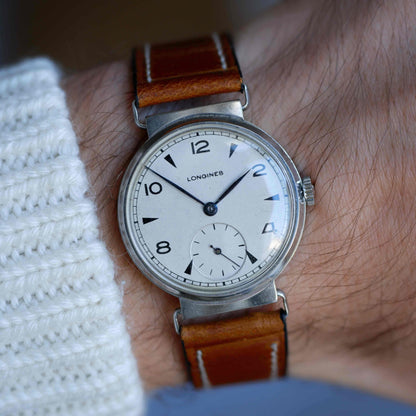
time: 1:52
